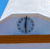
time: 6:01
